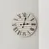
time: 3:02
